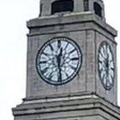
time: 12:28
